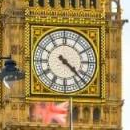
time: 4:22
